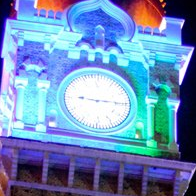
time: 9:15
